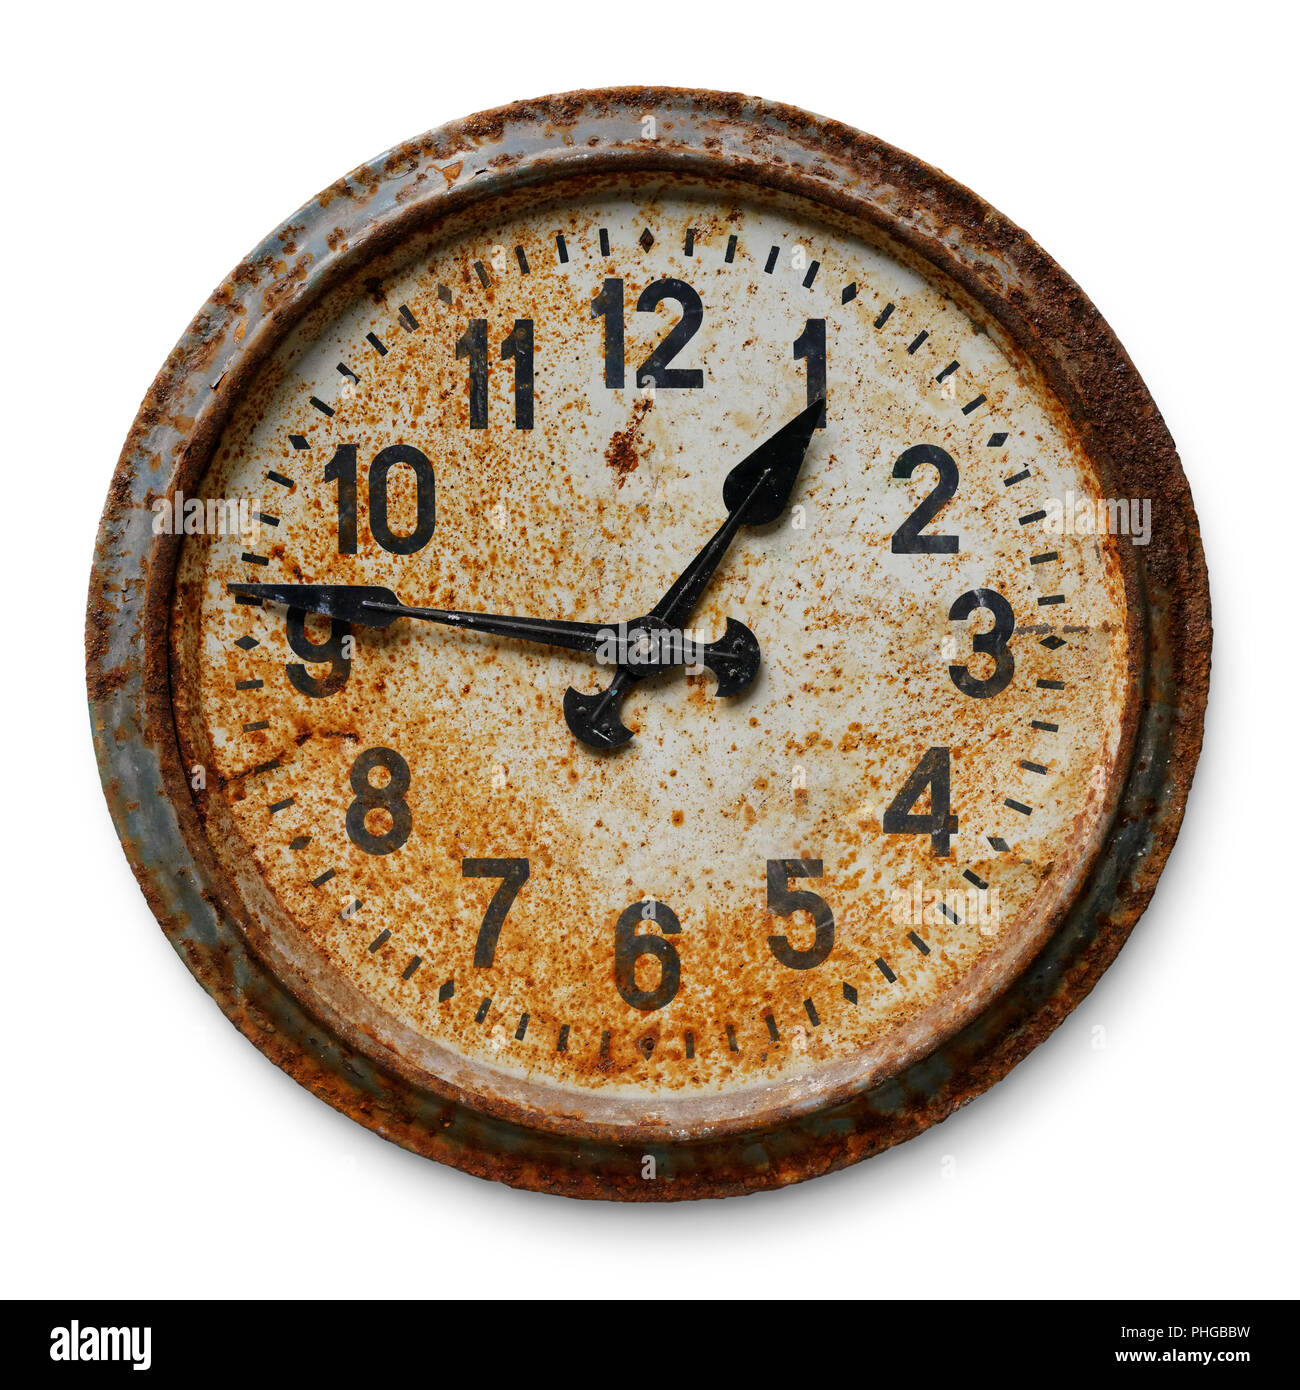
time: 12:46
